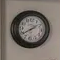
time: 1:39
